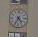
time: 4:35
